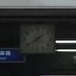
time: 1:39
